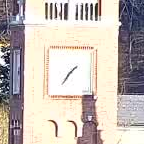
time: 1:36
